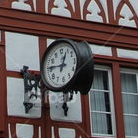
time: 12:46
